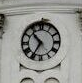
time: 10:35
